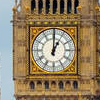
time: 1:00
